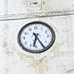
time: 6:24
